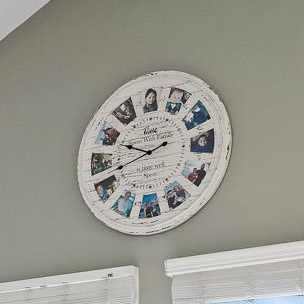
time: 9:42
